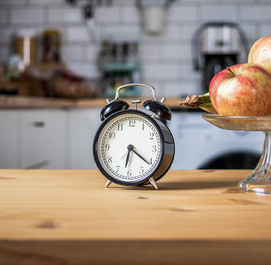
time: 6:21
